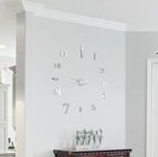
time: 9:42
